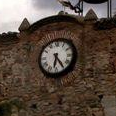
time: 6:24
